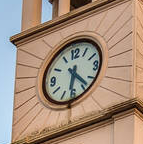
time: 6:23
